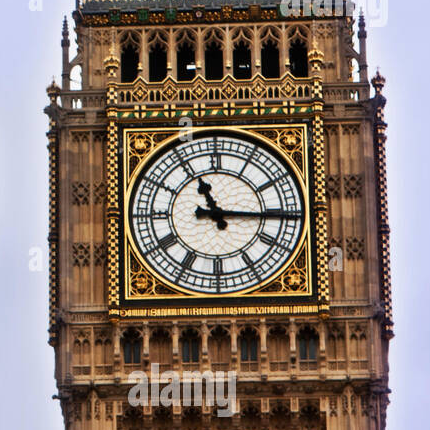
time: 11:15
